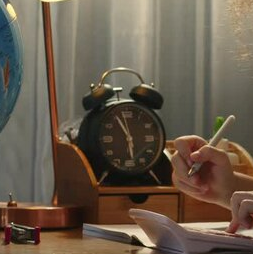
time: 5:55
